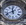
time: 11:41
